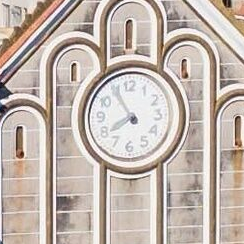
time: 7:54
